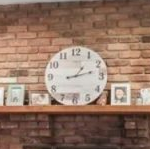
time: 1:12
